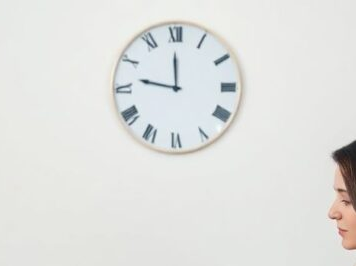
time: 11:46
